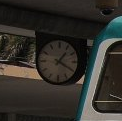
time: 1:19
